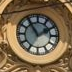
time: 1:54
